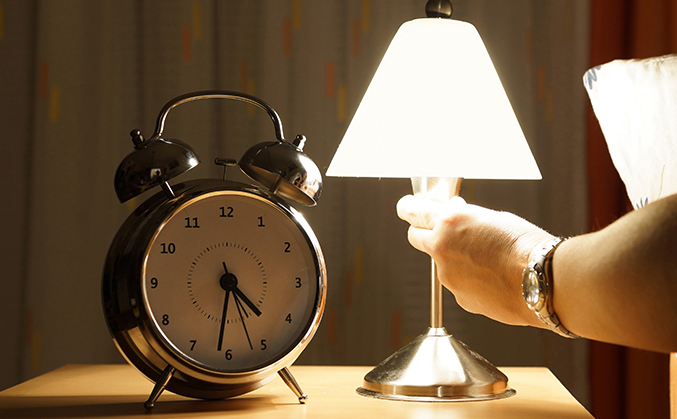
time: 4:31
